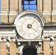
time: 4:07
